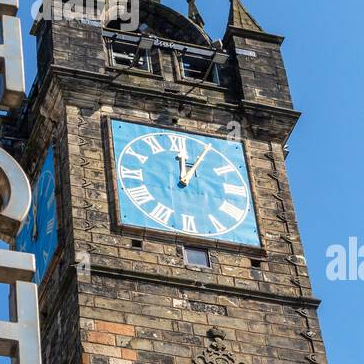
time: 12:05
